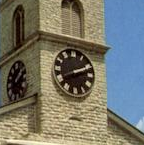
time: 2:11
